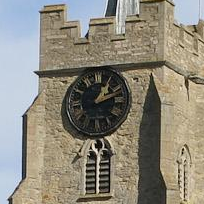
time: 1:11
